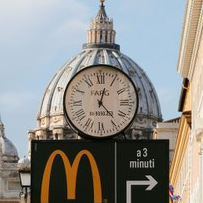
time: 12:23
